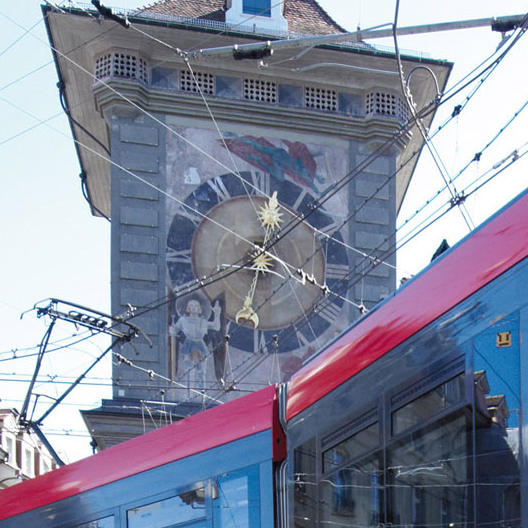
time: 12:19
